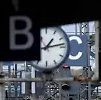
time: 1:13
